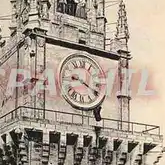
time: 9:20
